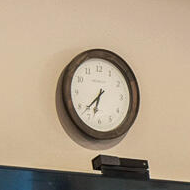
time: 6:37
